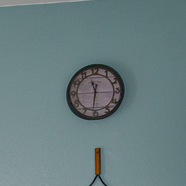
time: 11:31
